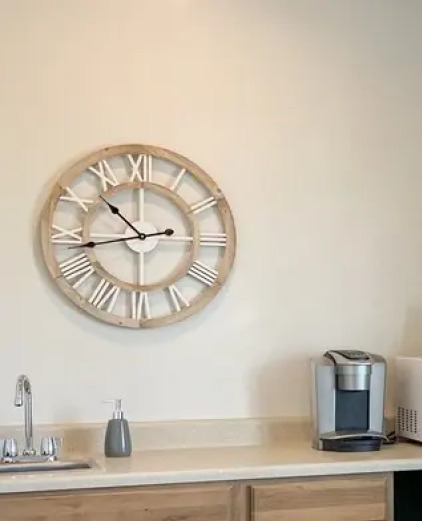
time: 10:43
